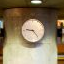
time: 9:23
